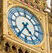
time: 4:35
